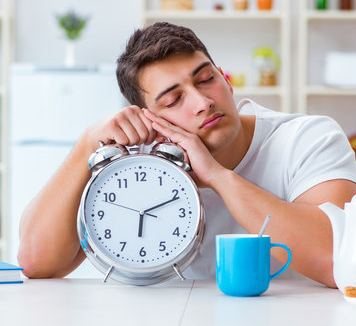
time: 6:11
